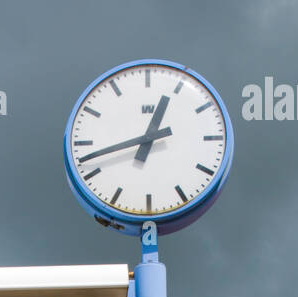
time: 12:42
